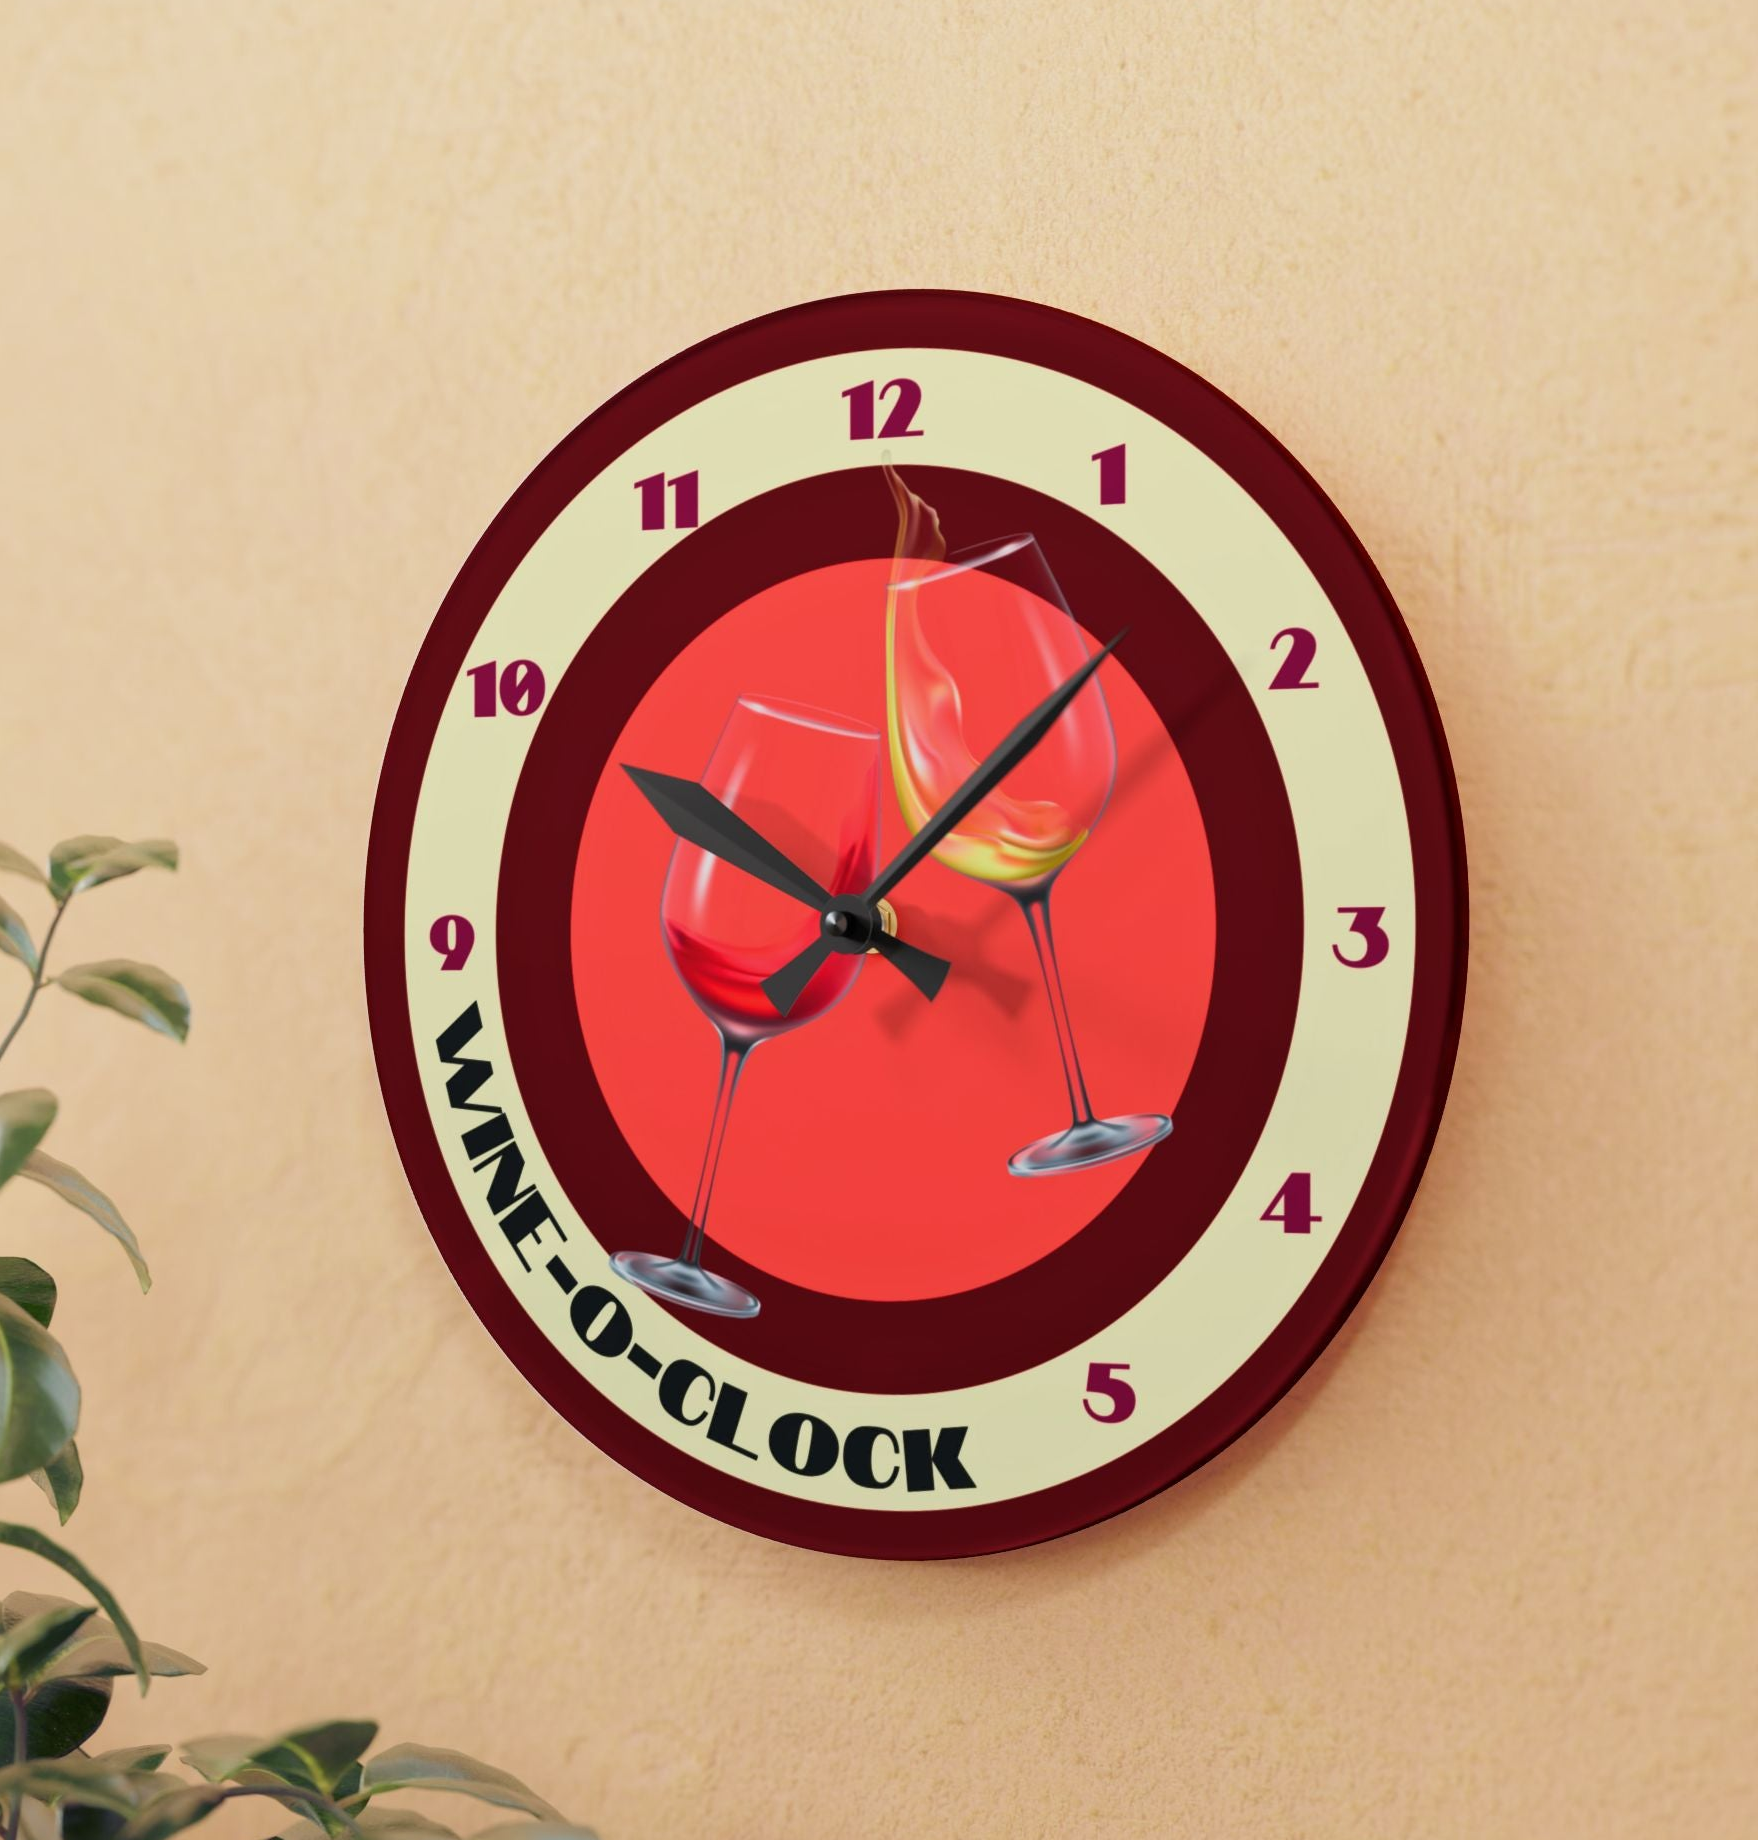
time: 10:07
